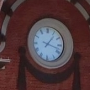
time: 1:17
